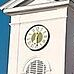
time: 12:28
